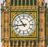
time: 10:43
